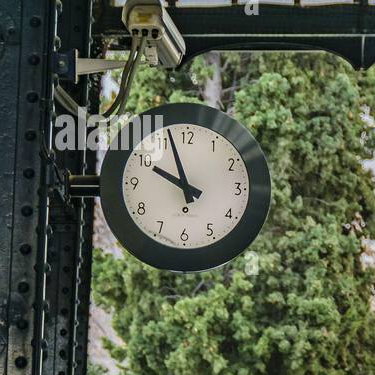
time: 9:57
